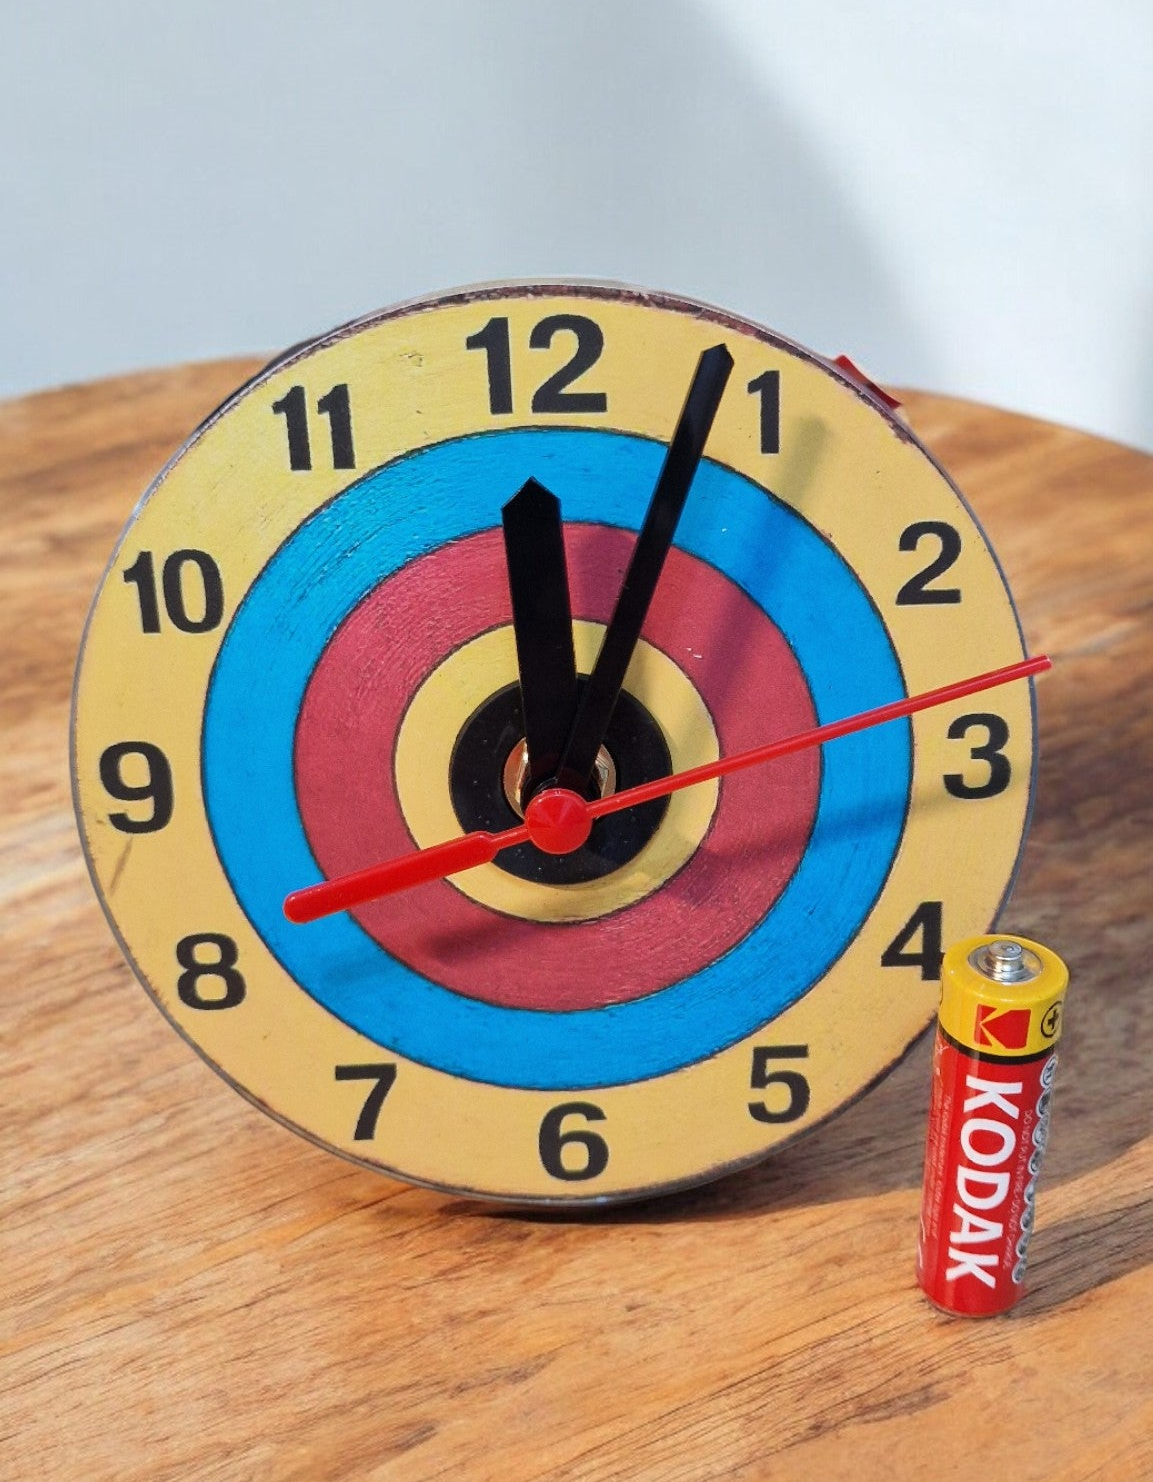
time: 12:03
